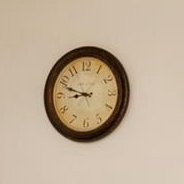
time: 8:48
